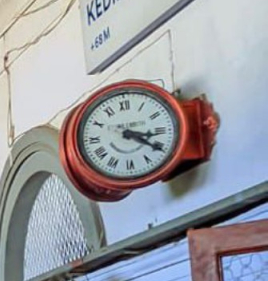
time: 3:20
